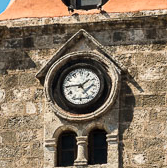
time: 1:44
